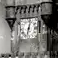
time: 12:32
